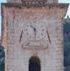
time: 10:28
